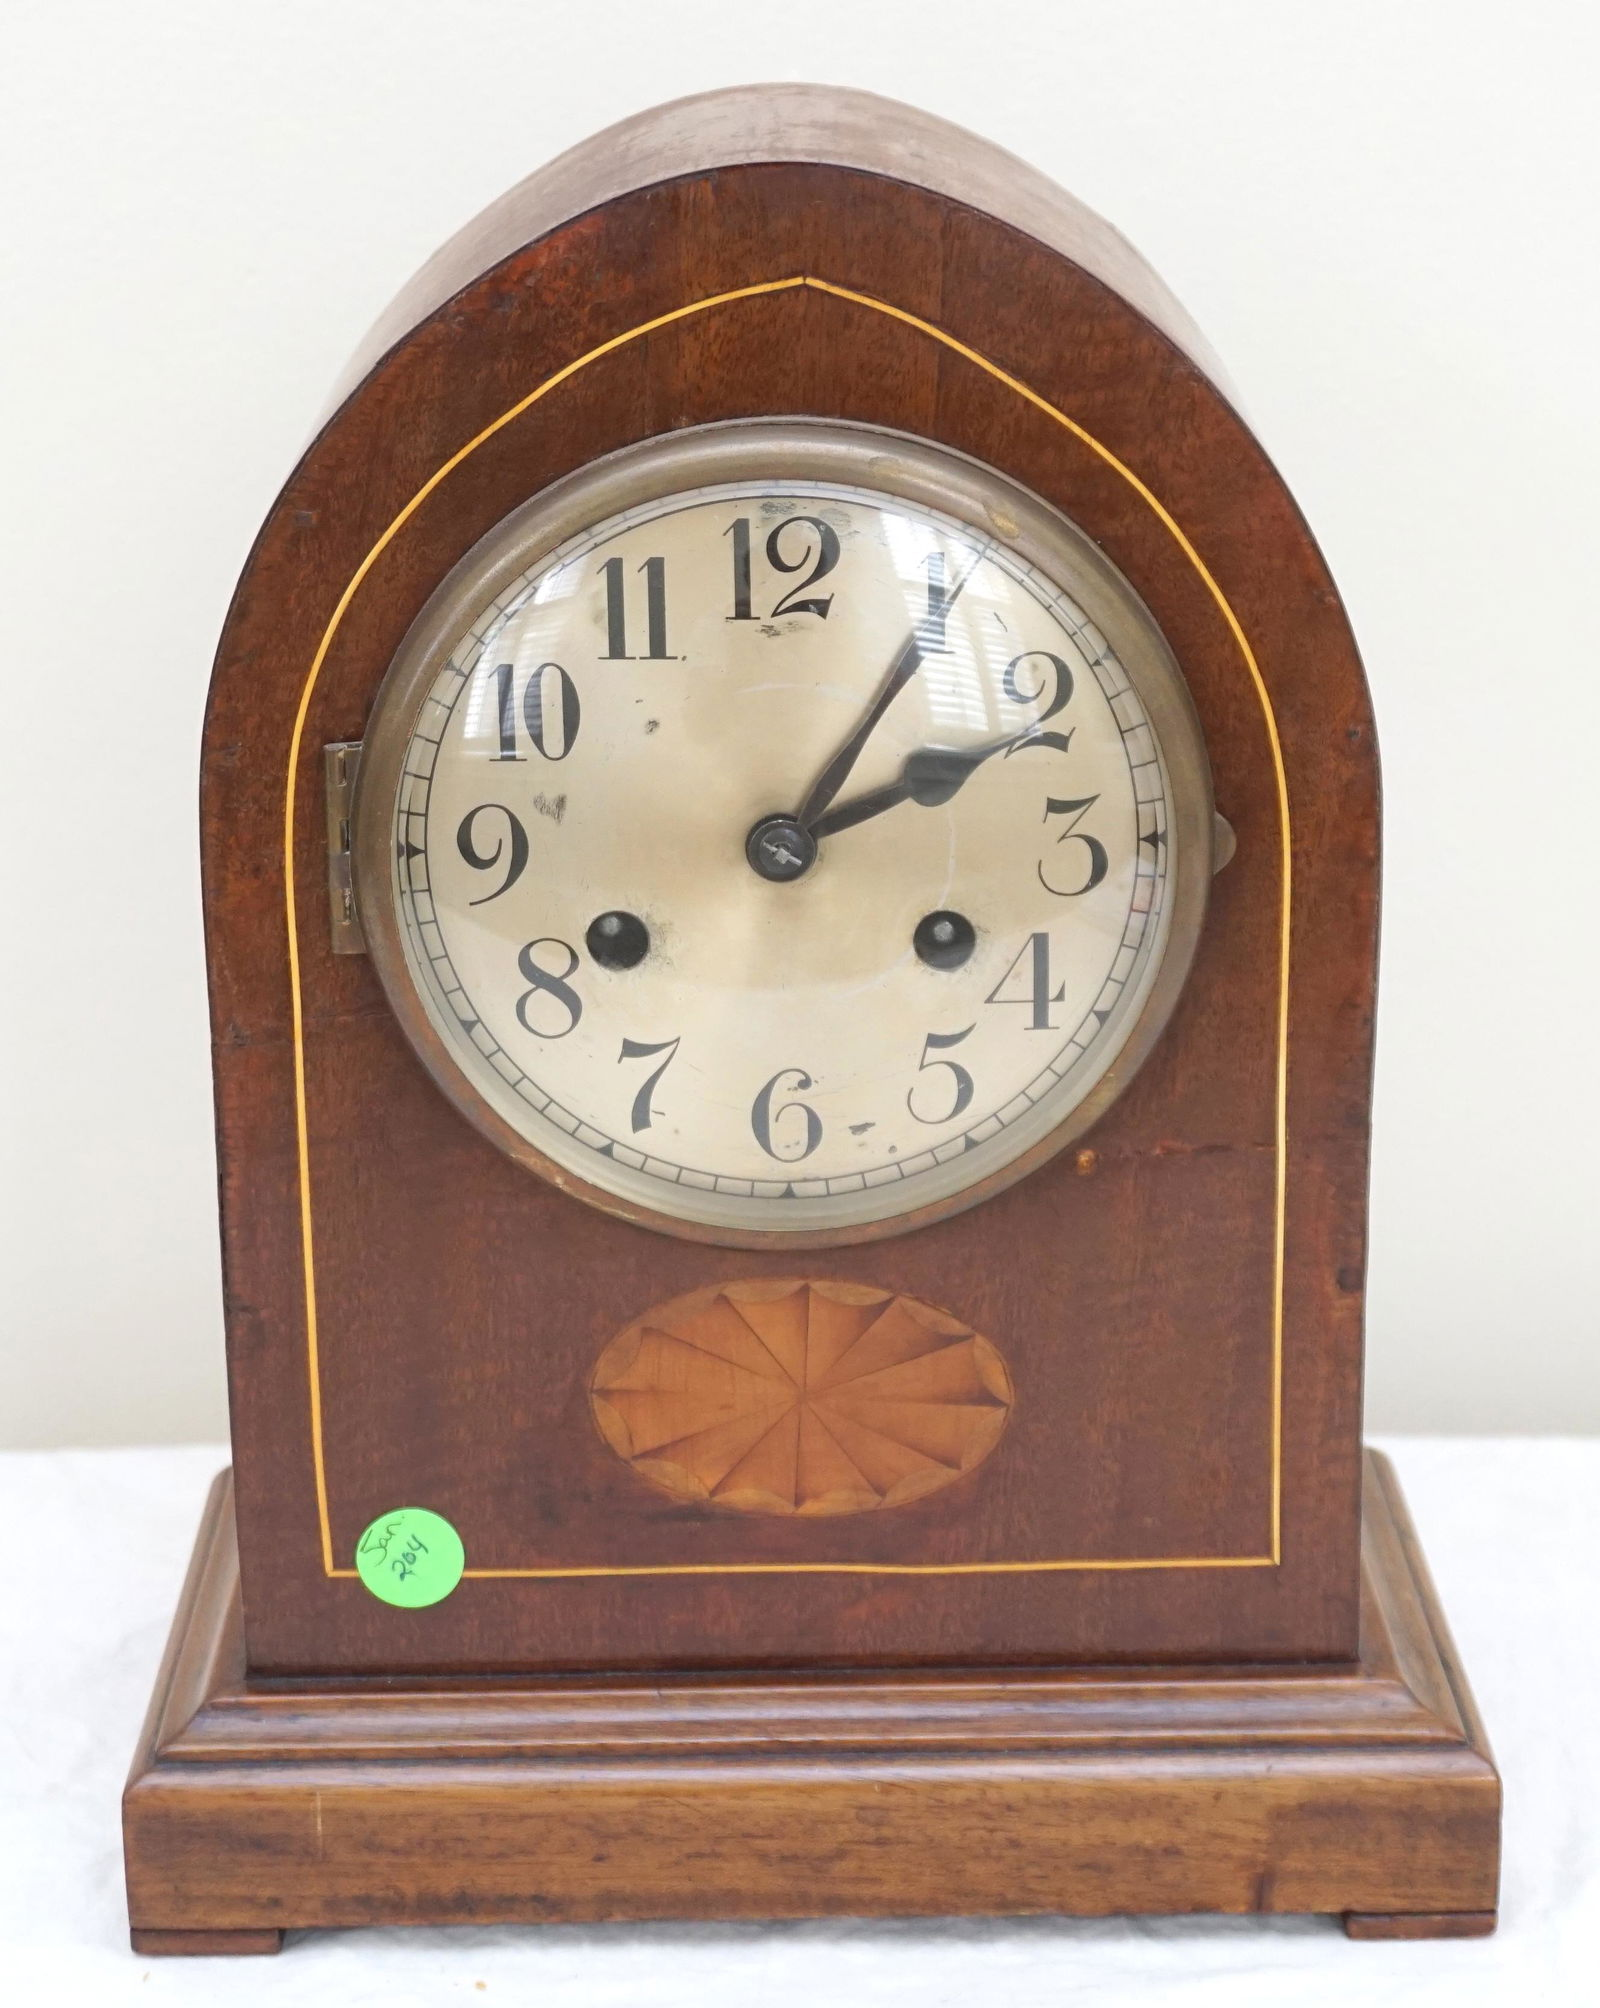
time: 2:05
